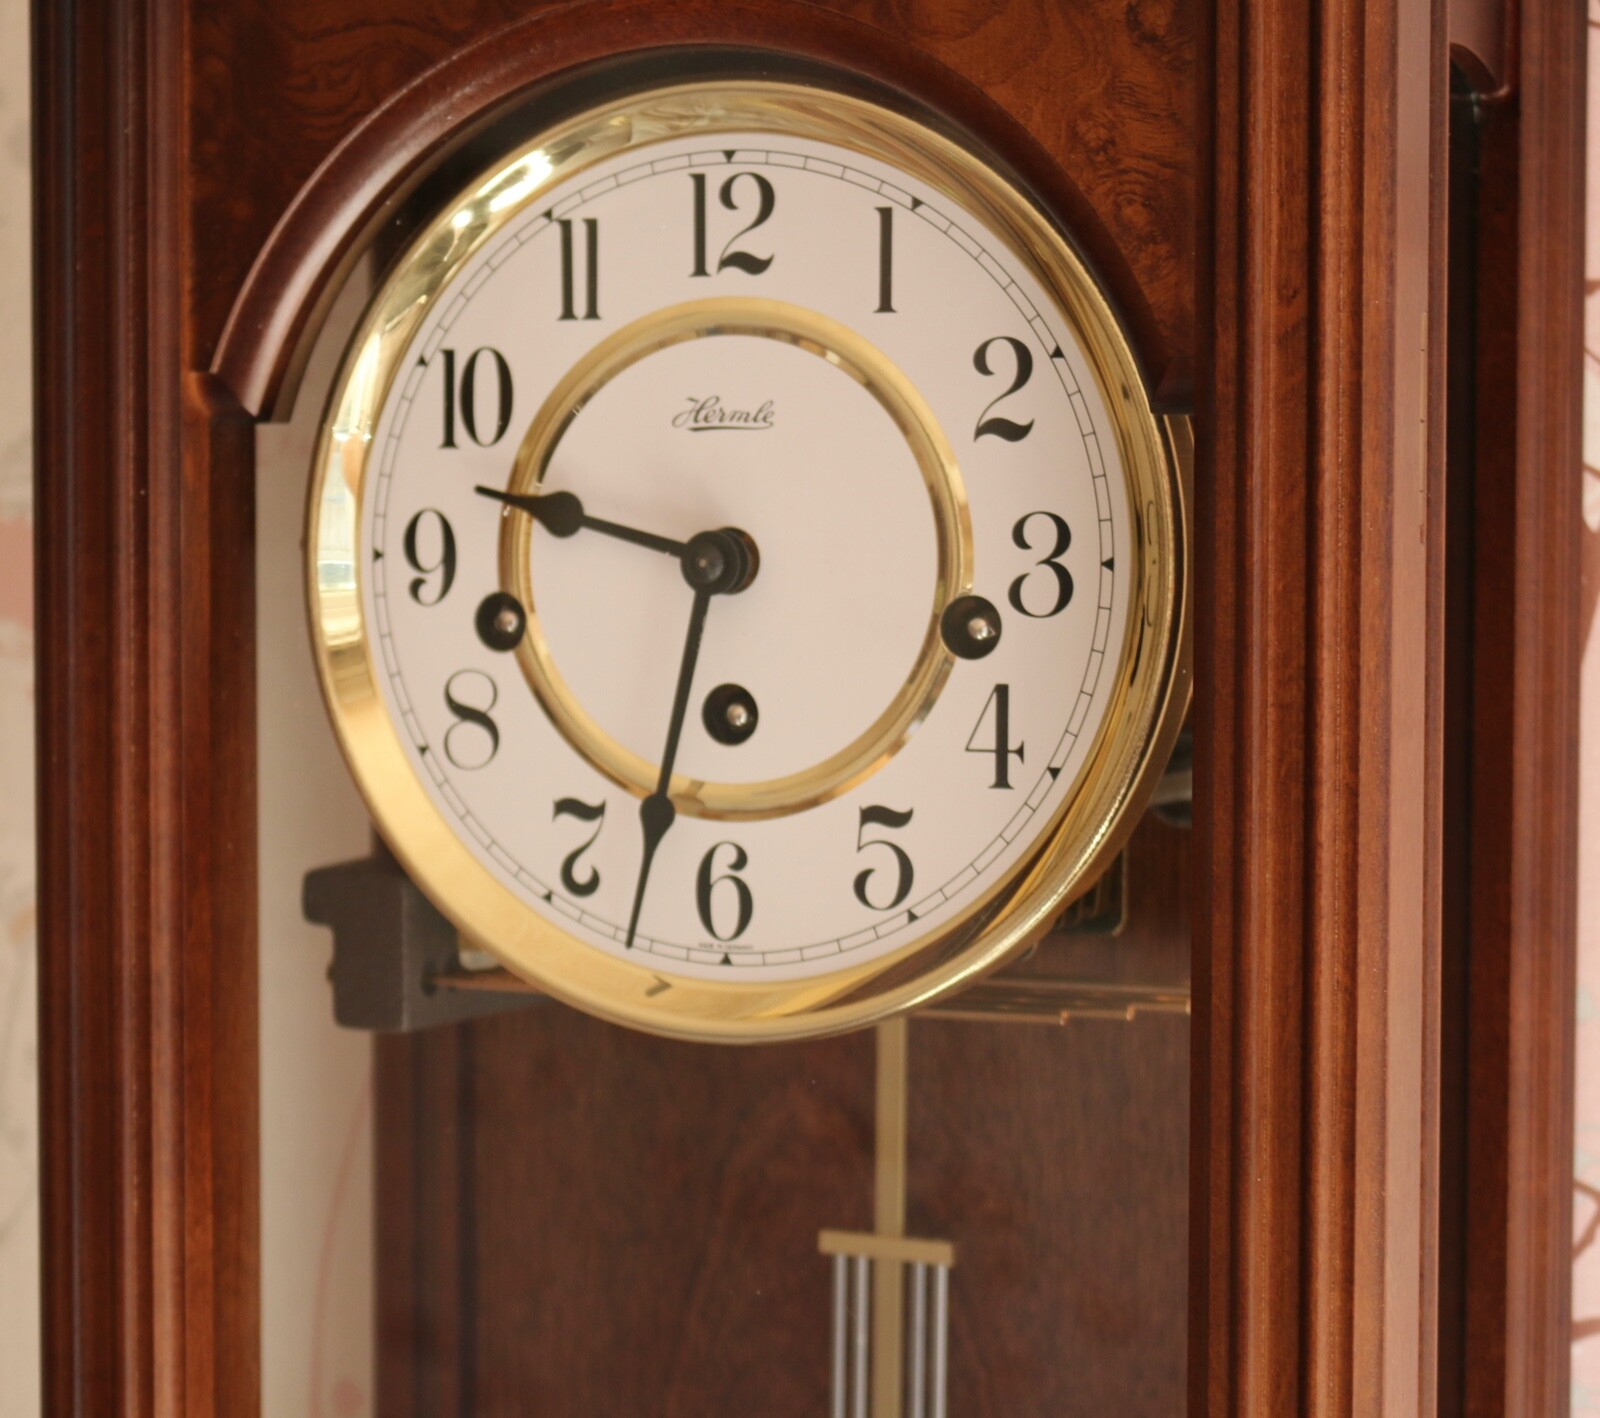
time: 9:32
